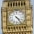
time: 4:23
